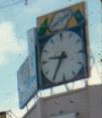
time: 9:35
